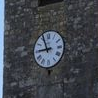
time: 8:56
